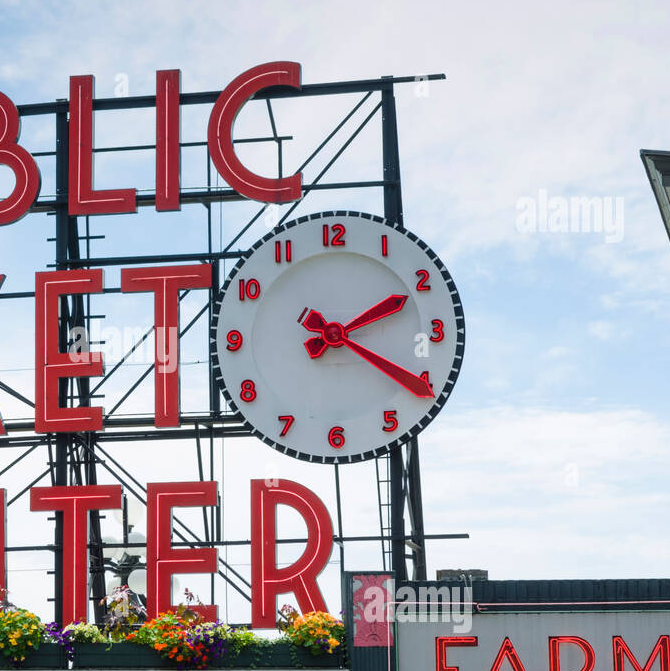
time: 2:20
